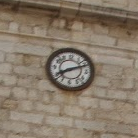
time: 8:11
